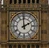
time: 1:59
